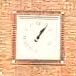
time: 1:06
